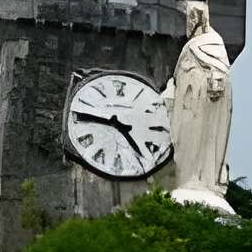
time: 4:46
